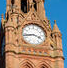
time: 3:43
